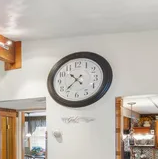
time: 10:37
